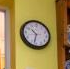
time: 10:32
